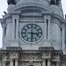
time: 3:30
